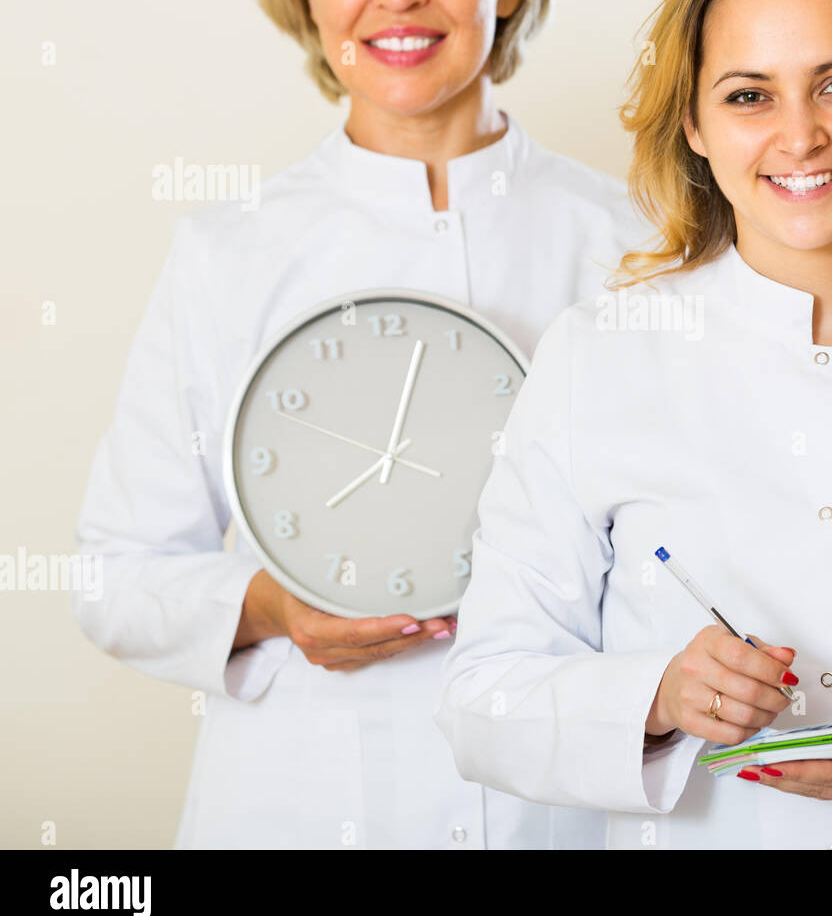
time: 8:02
